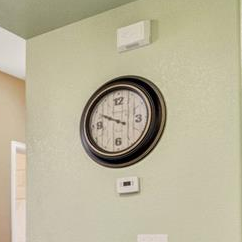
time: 9:49
